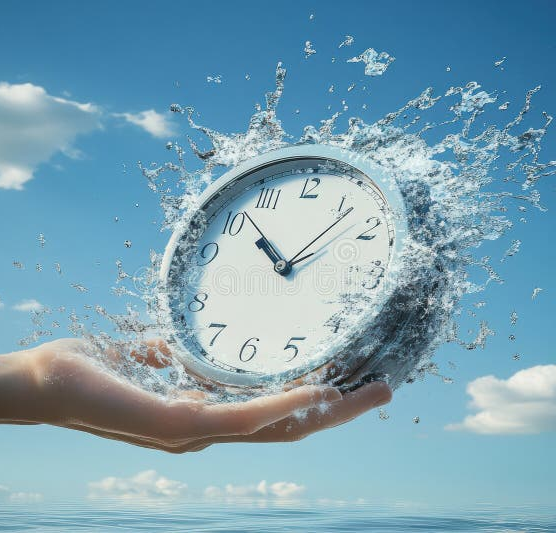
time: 10:07
